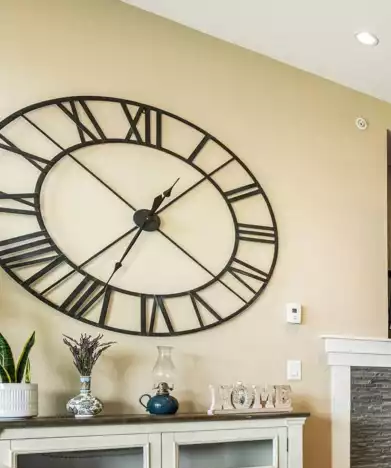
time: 1:34
